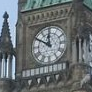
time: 11:50
